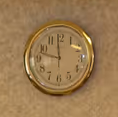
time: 11:47
